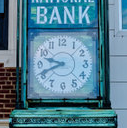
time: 9:41
